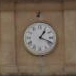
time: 1:18
